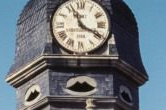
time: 11:19
